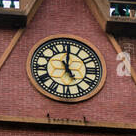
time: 5:00
